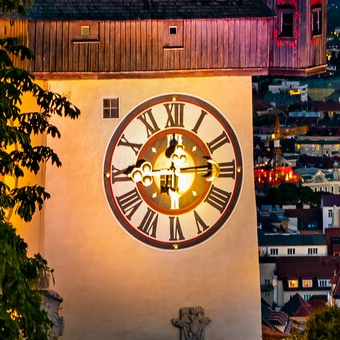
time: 12:13
